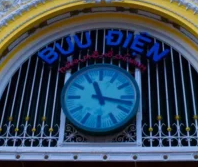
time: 11:16
